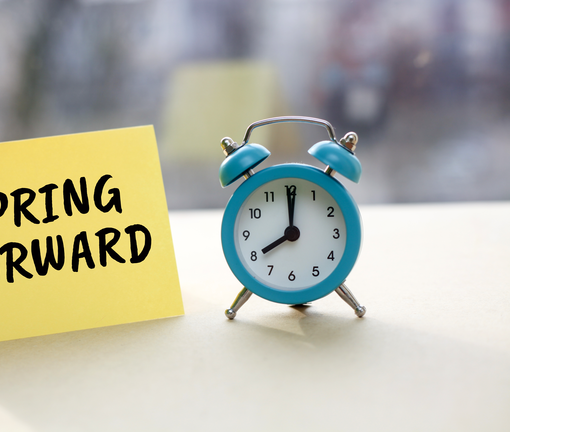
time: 8:00
